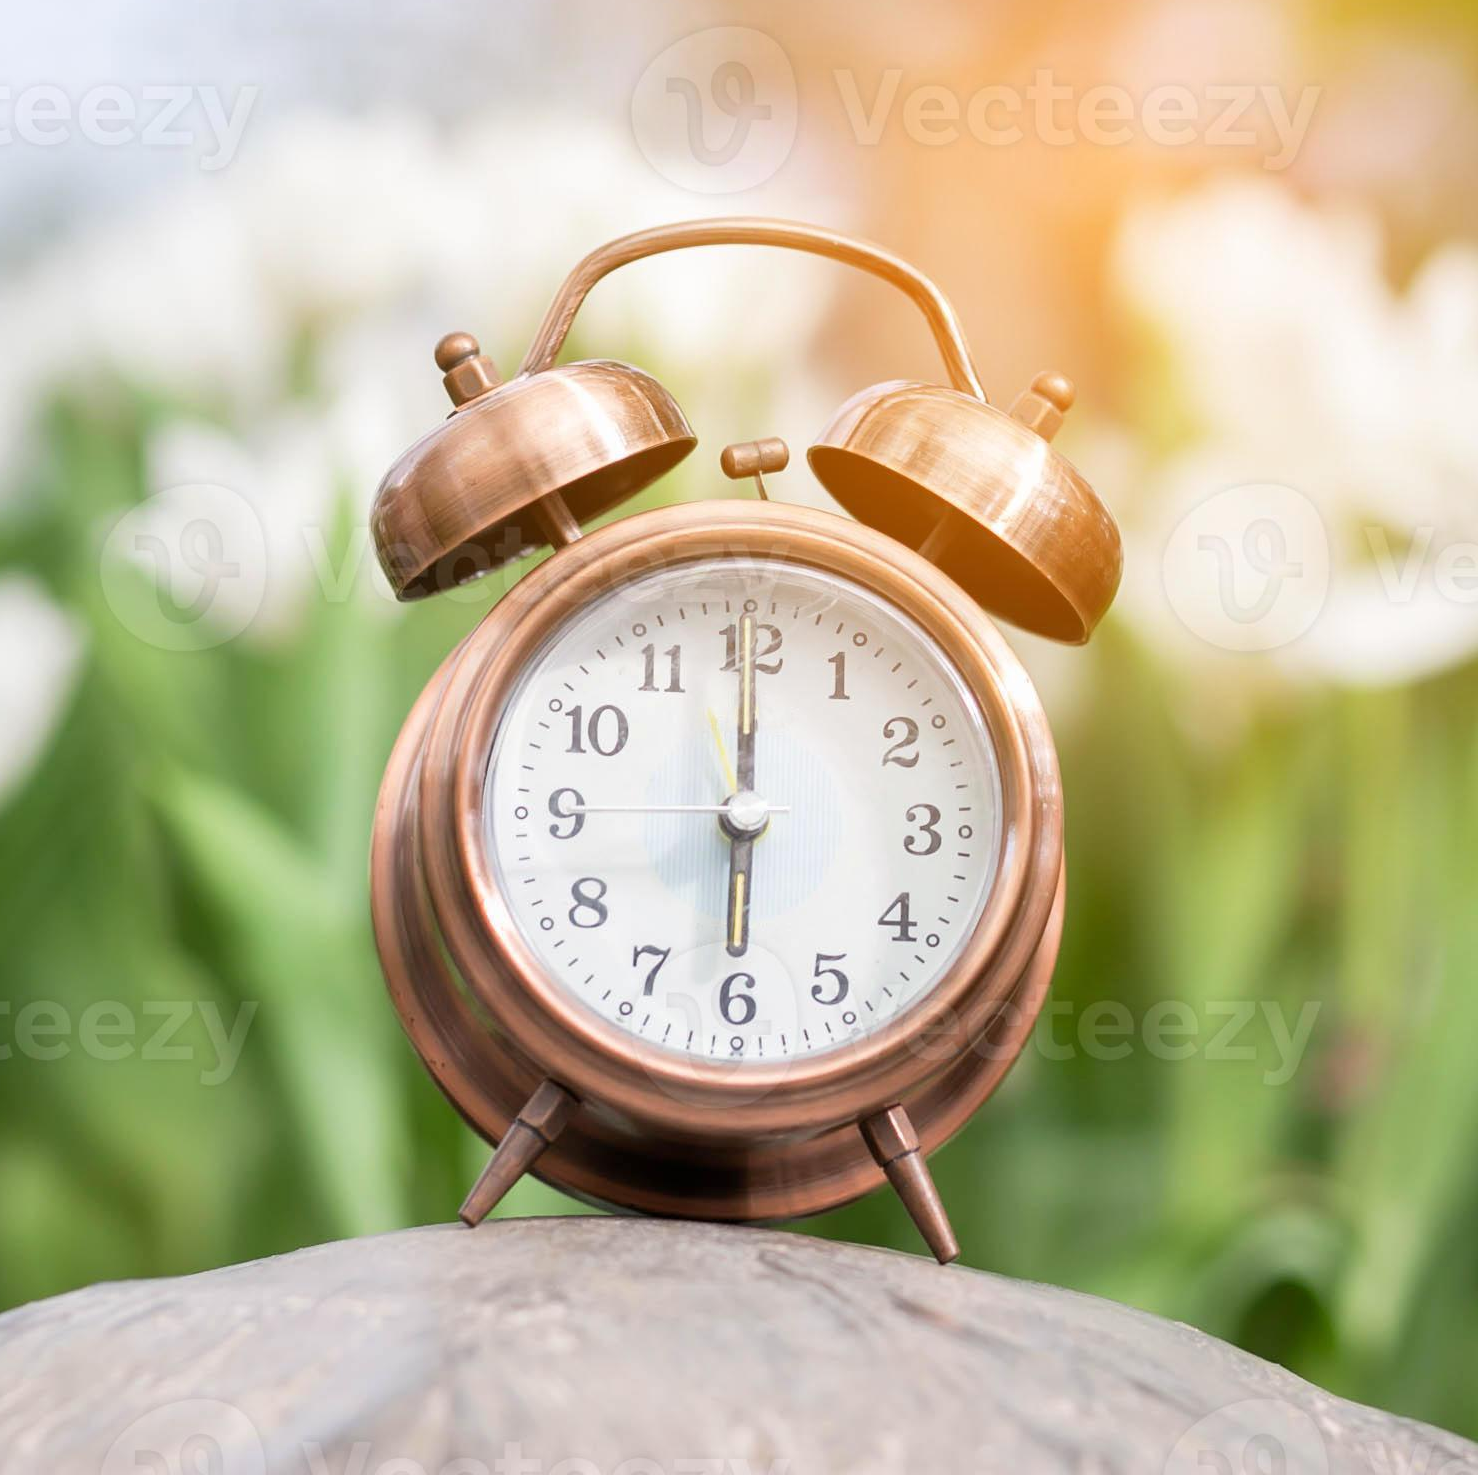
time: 5:59
